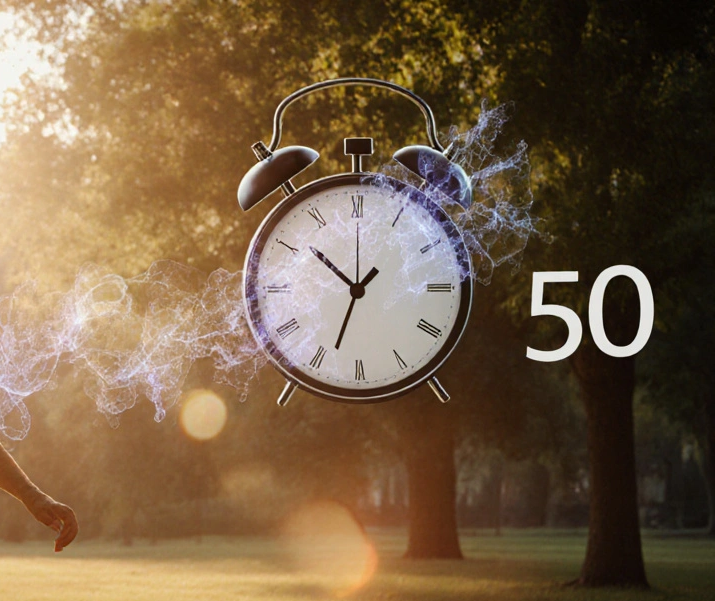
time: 10:33
